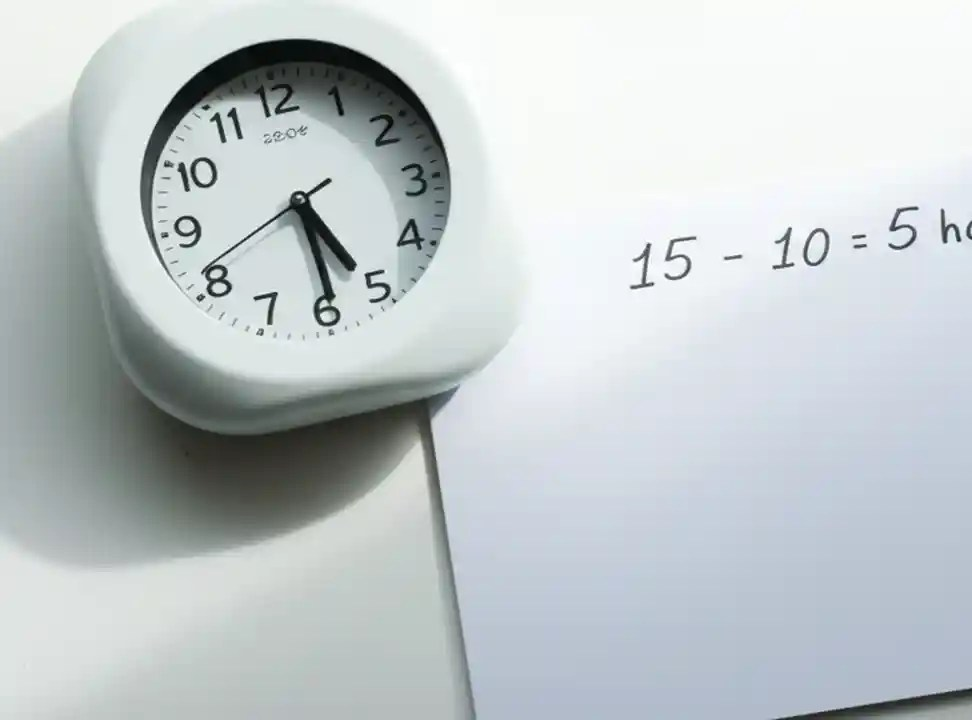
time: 5:29
